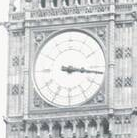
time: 3:16
